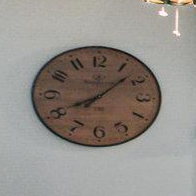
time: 8:07
